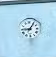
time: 9:05
